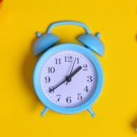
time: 1:39
